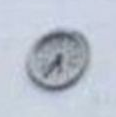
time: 5:35
